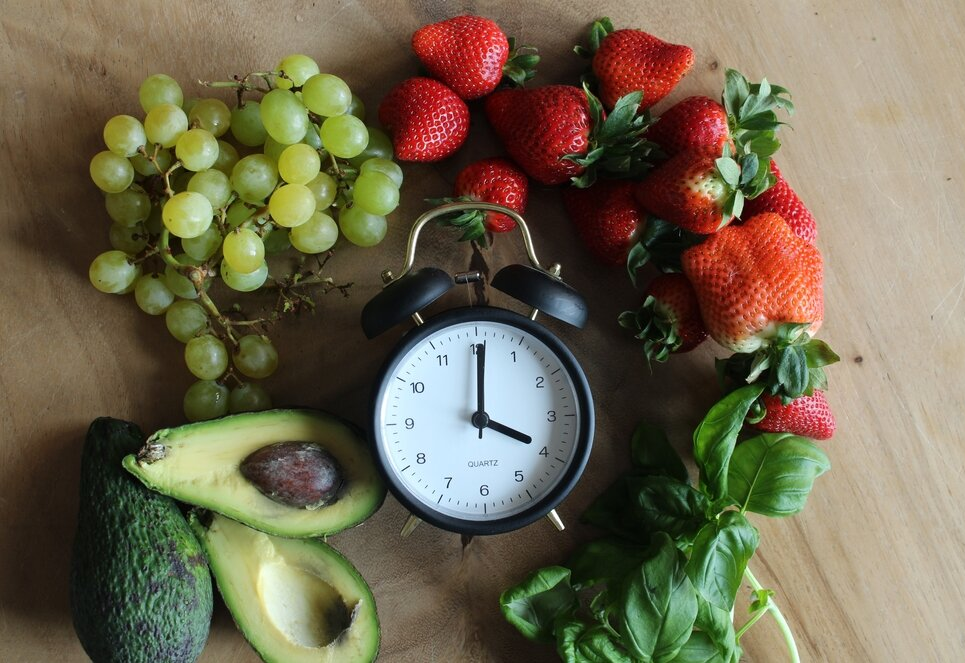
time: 4:00
